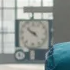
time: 9:51
